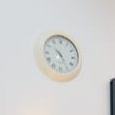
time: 10:24
